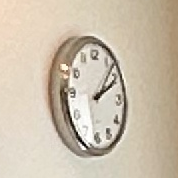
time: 2:07
